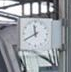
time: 11:40
